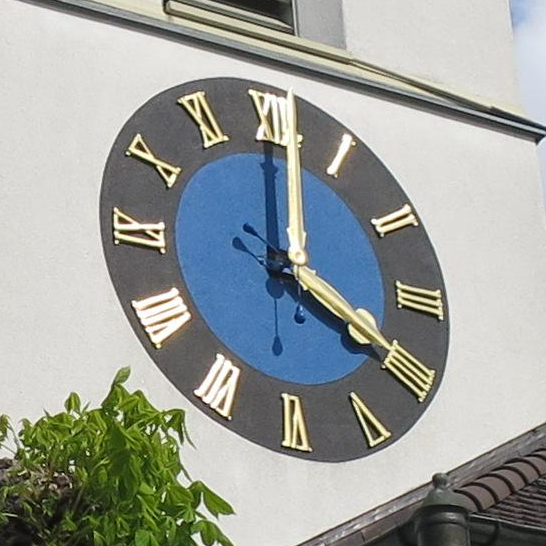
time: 4:01
